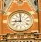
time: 8:59
